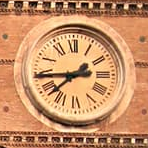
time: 7:44
